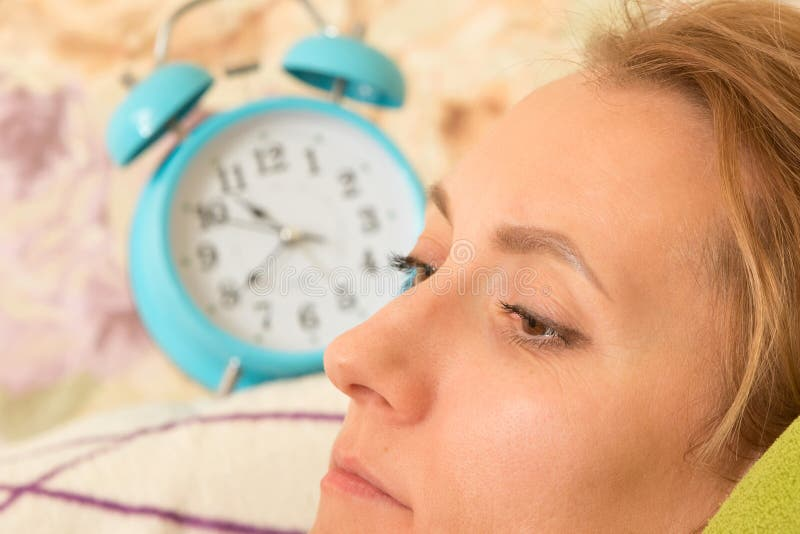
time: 10:39
